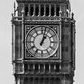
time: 1:02
